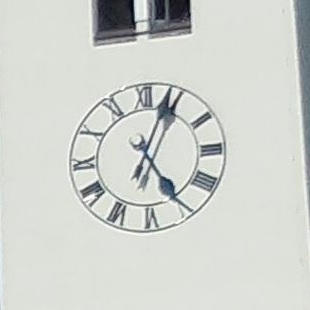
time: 5:04
